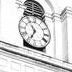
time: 6:54
